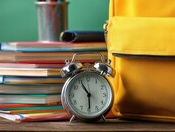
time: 5:55
